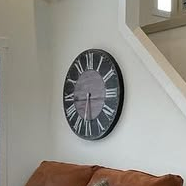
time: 5:44
